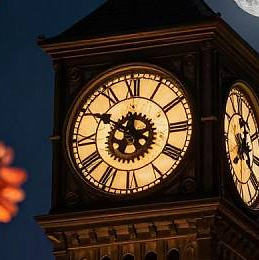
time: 11:50
